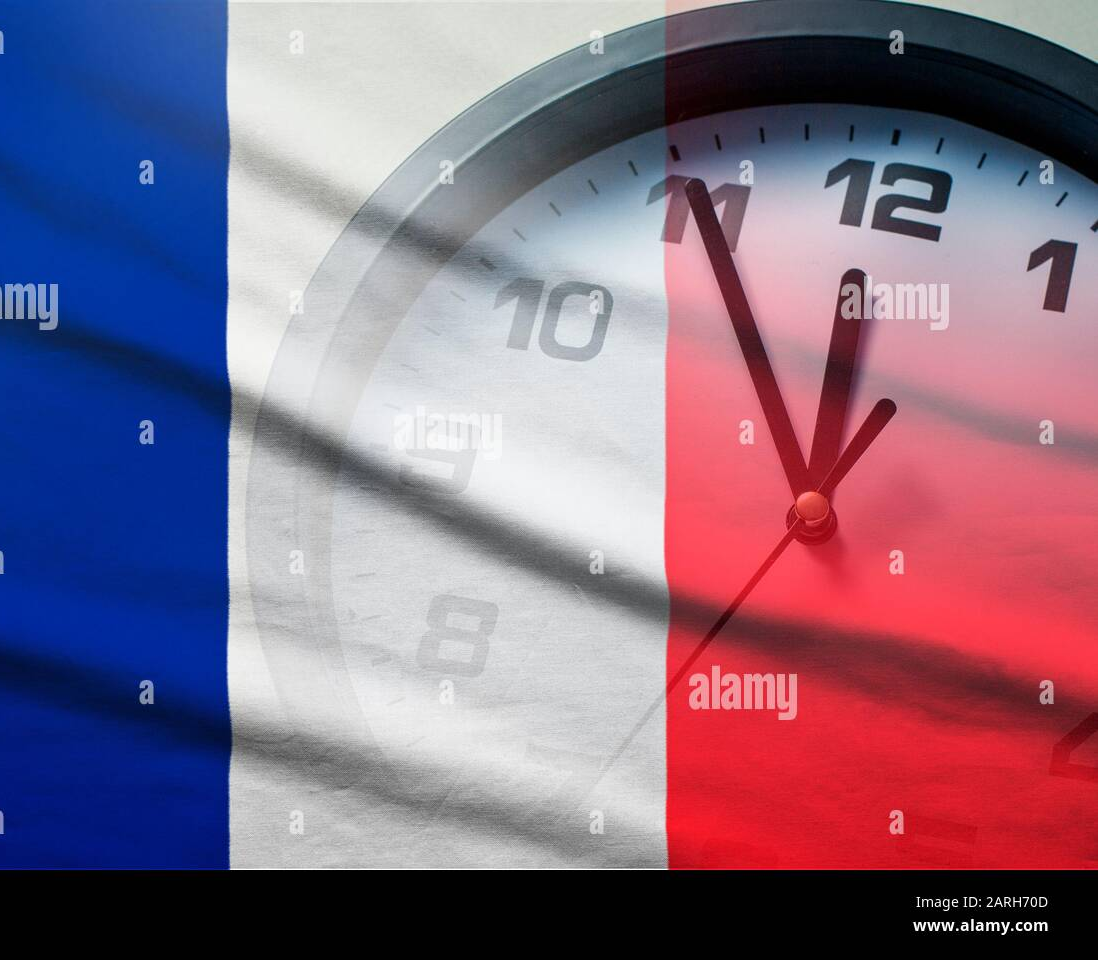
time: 11:55
